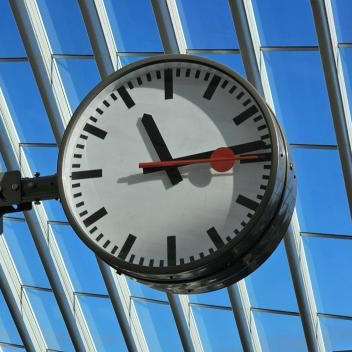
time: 11:13
